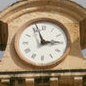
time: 2:56
